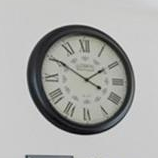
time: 1:50
